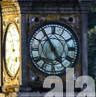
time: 4:54
